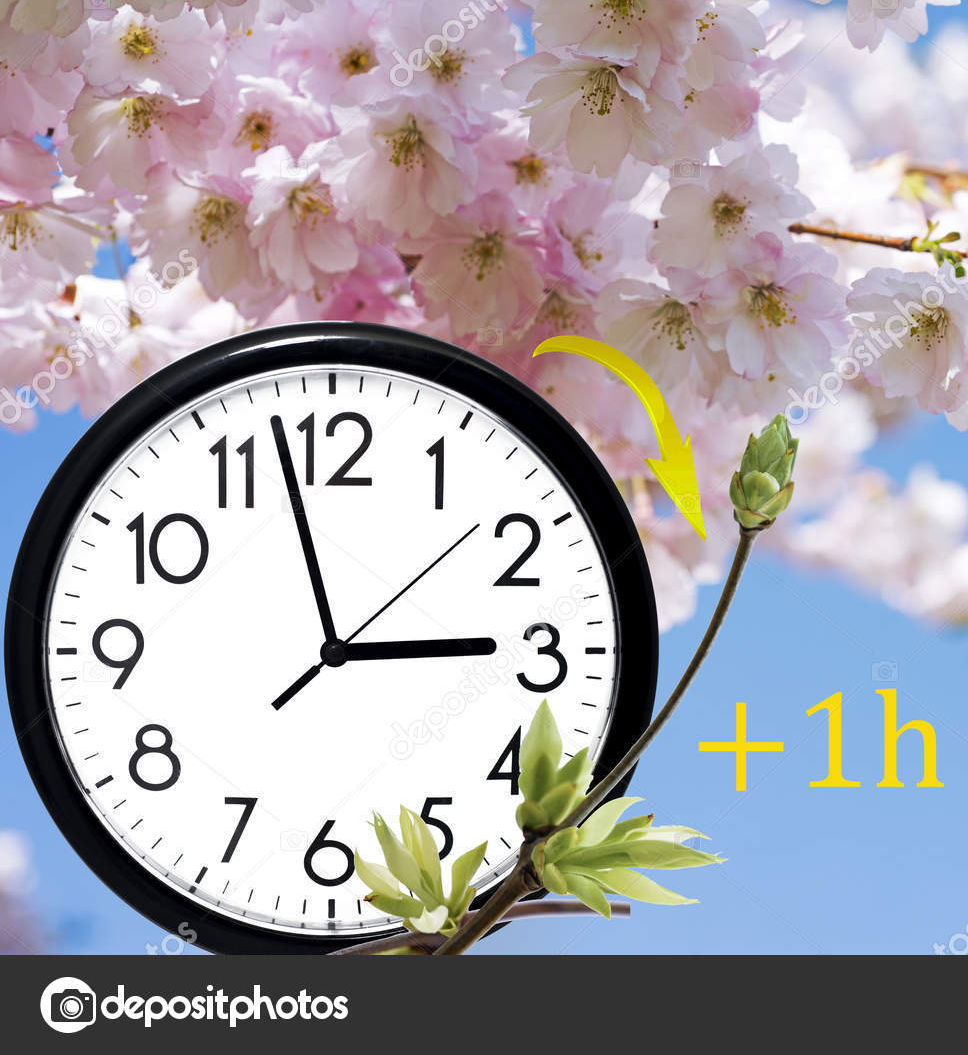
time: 2:57
